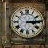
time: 3:14
